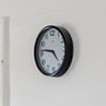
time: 4:46
